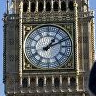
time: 1:11
